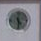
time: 4:29
